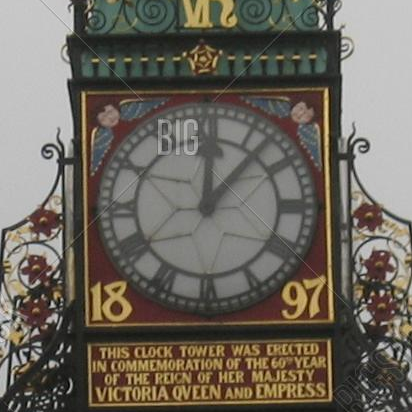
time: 12:06
